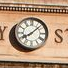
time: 8:07
